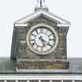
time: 5:20
